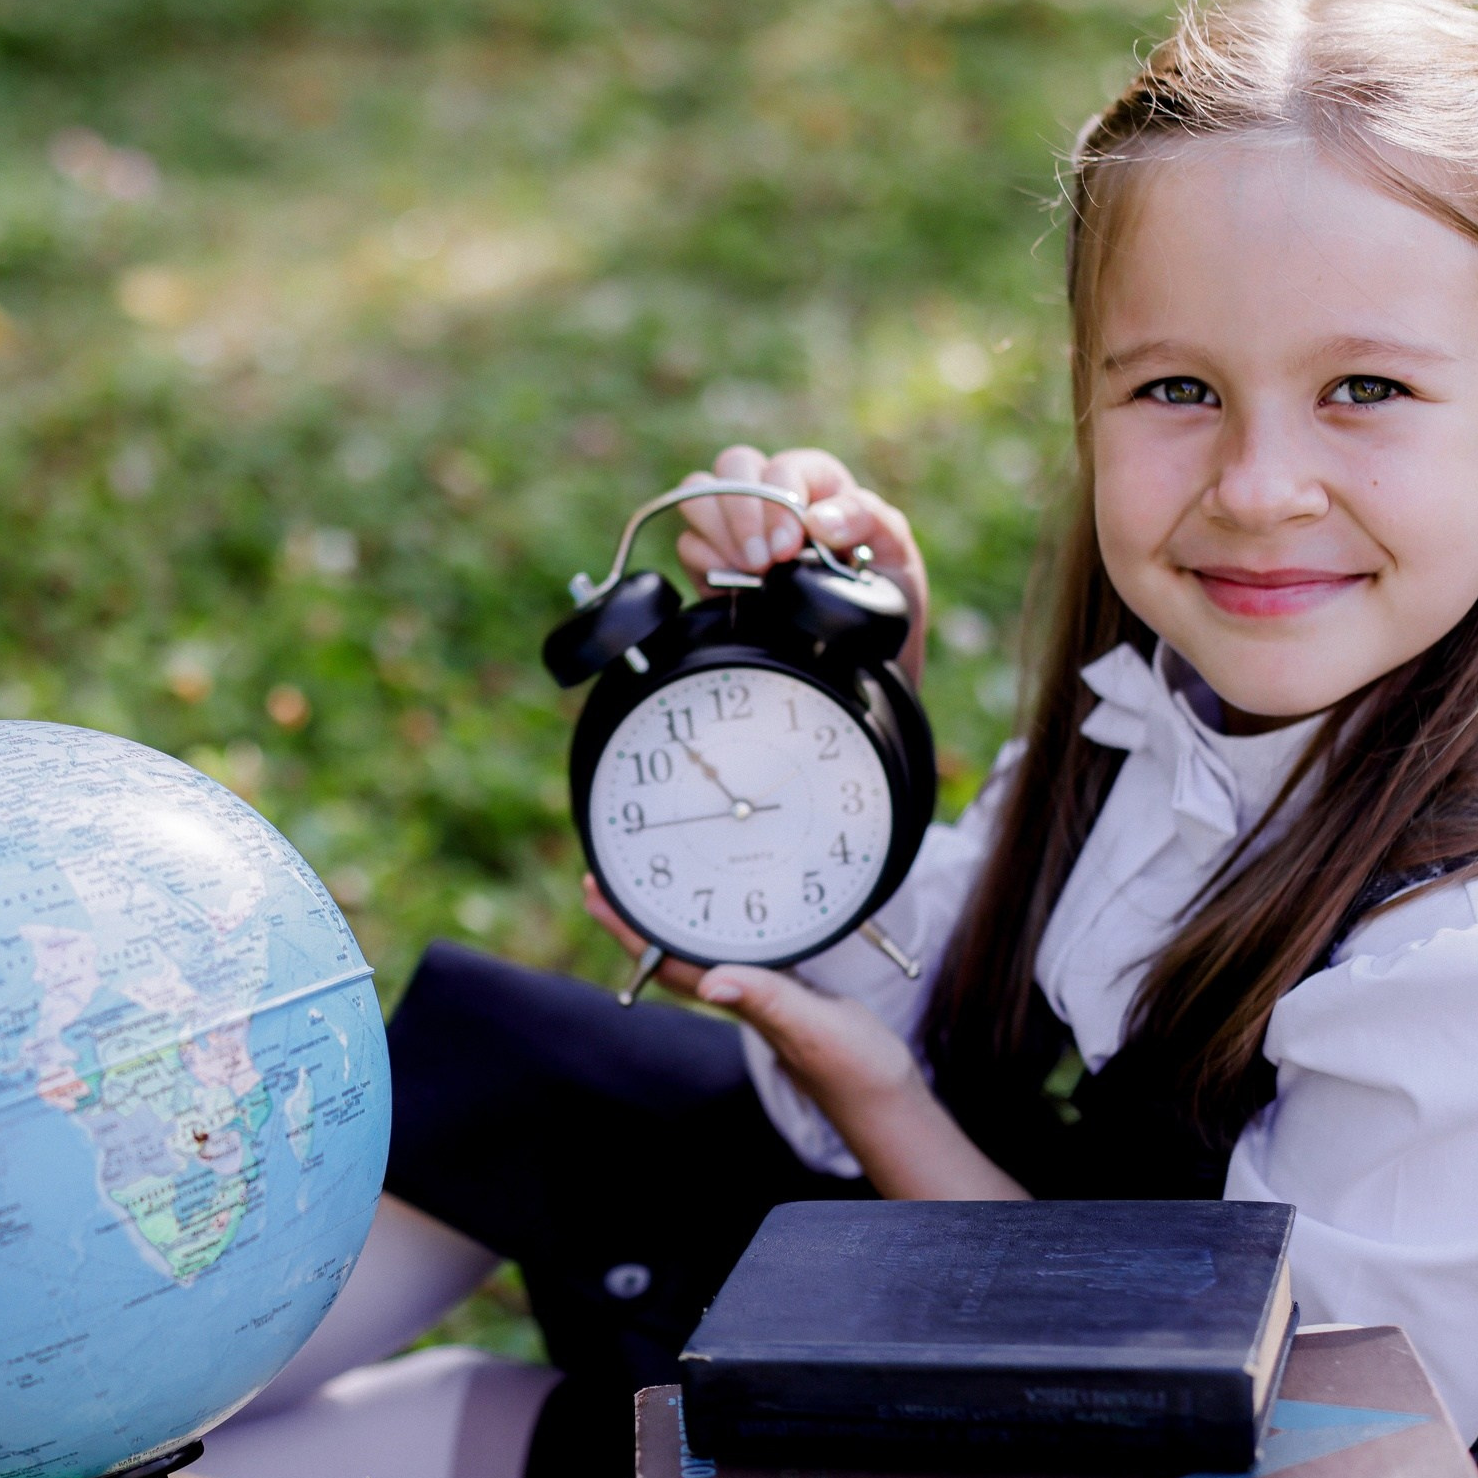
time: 10:44
